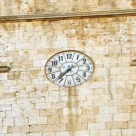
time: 7:37
